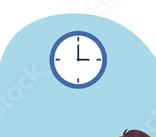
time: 2:59
